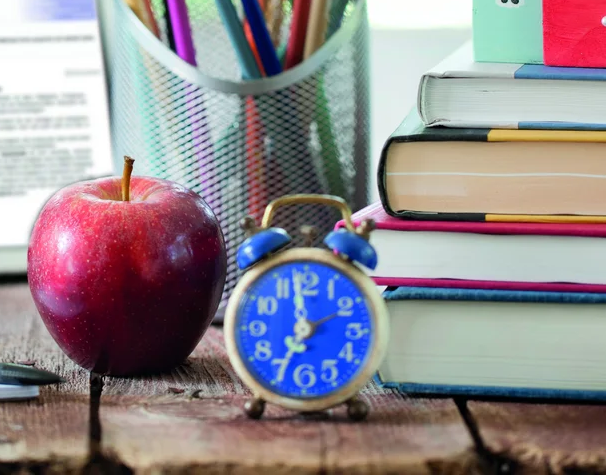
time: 6:58
